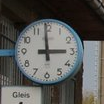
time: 2:59
